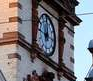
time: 11:46
